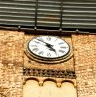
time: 4:52
